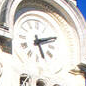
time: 5:11
